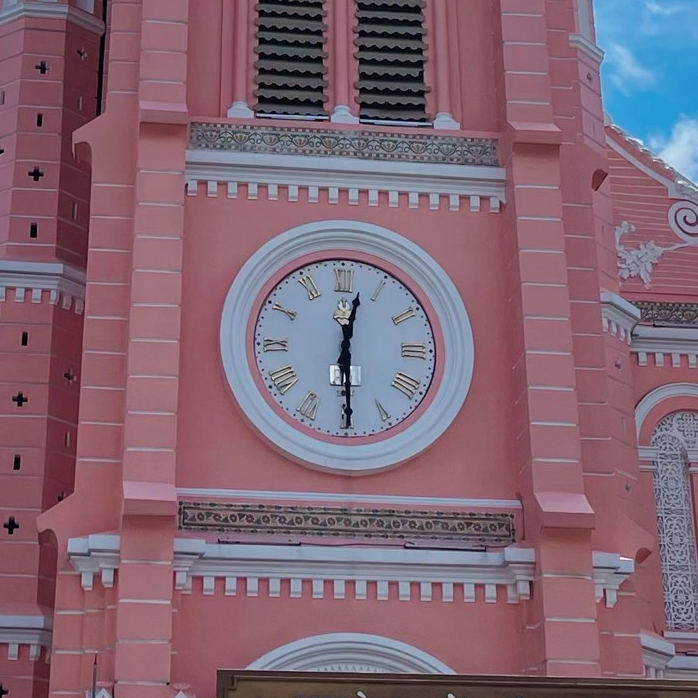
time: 12:29
